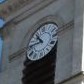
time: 10:45
